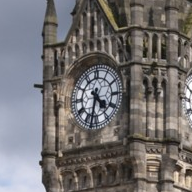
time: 4:32
